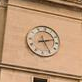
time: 2:25
